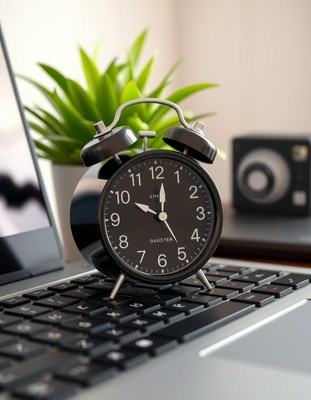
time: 10:01
